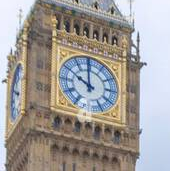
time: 9:59
